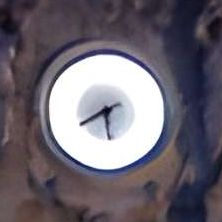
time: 5:40
